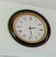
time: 2:28
